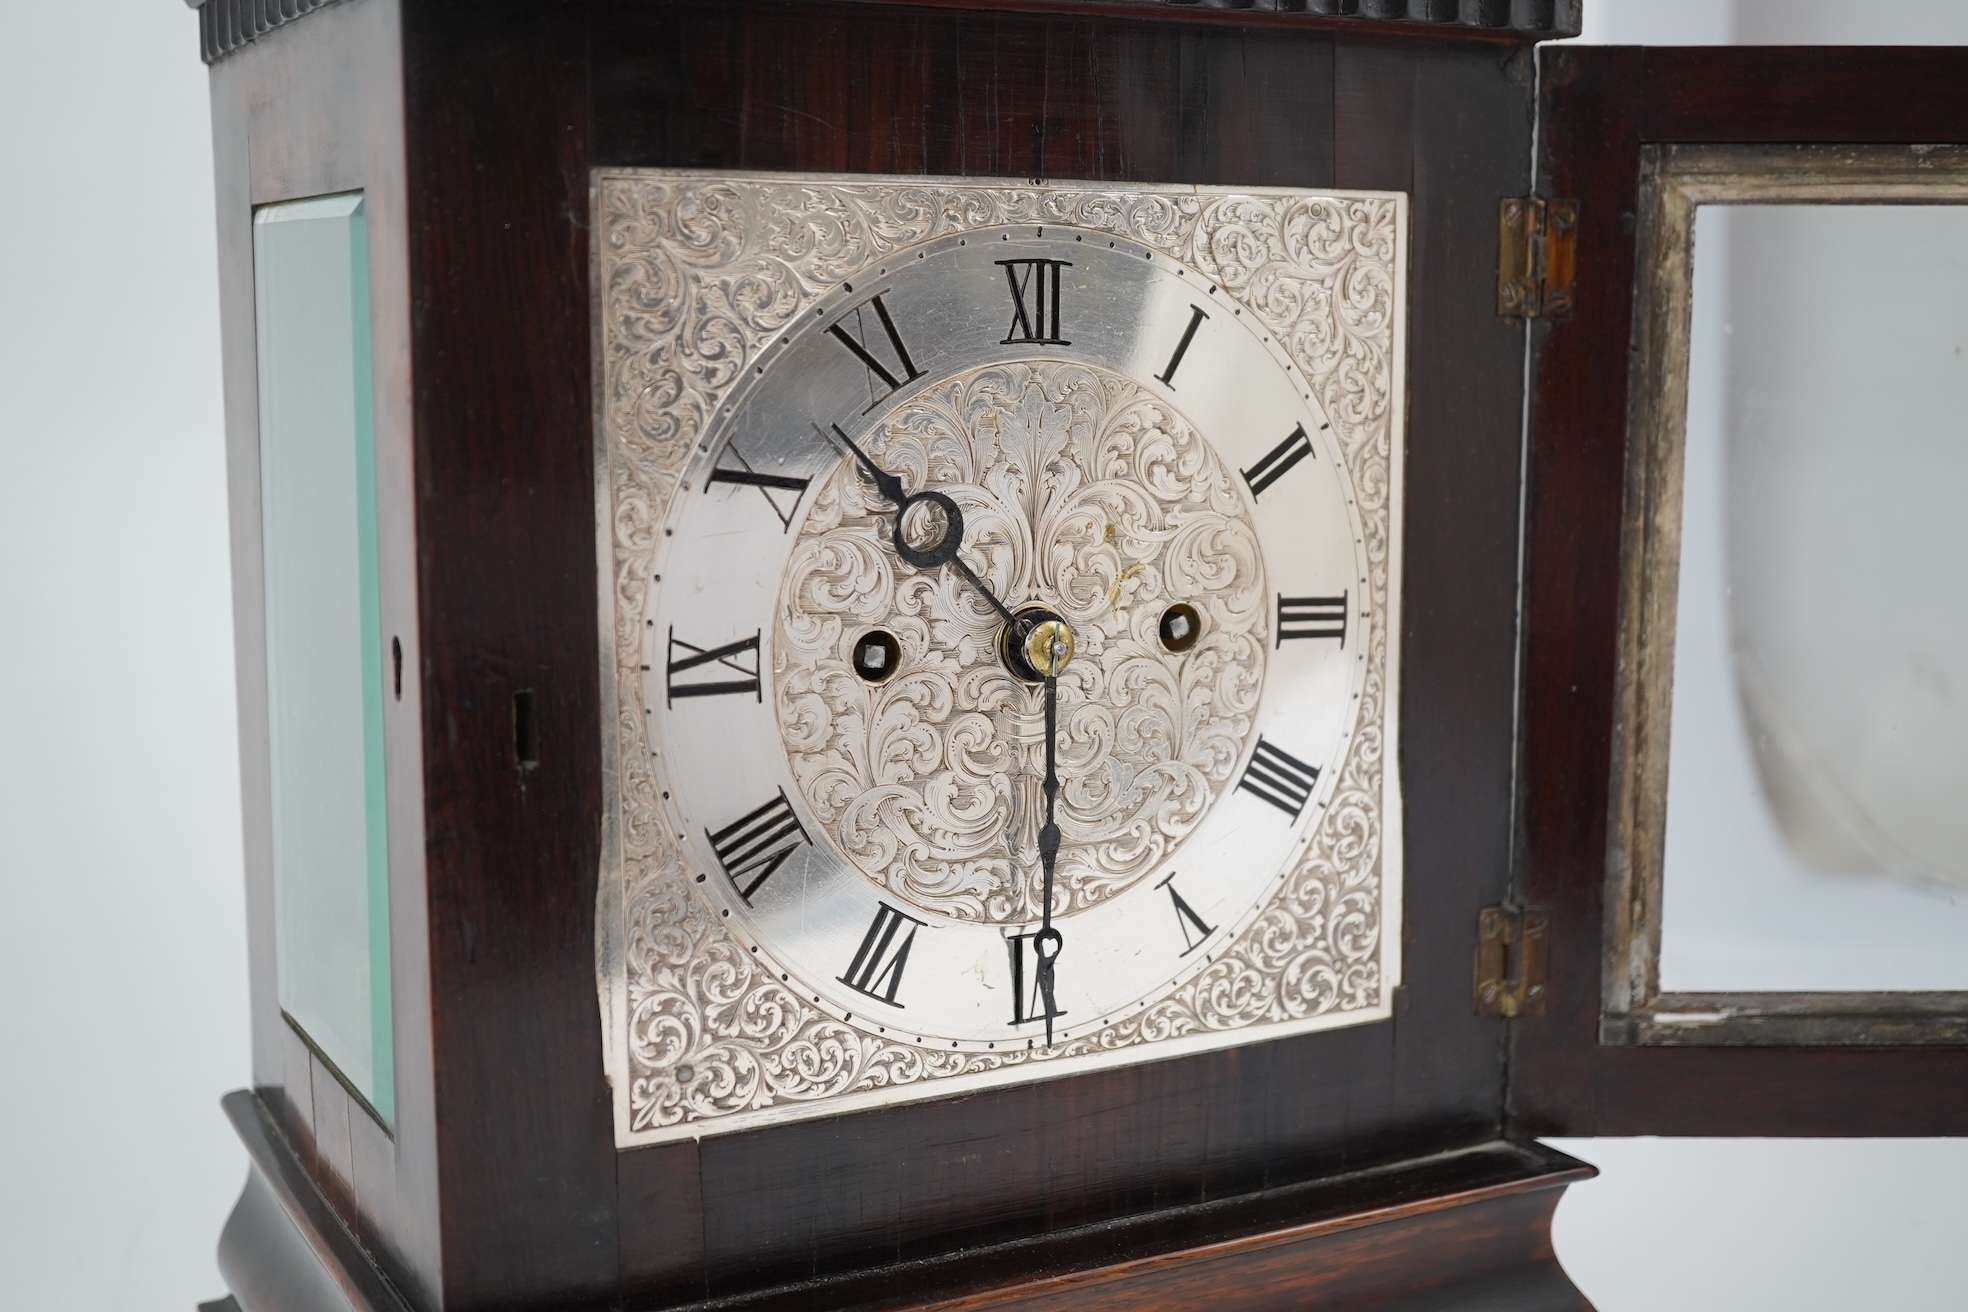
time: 10:30
